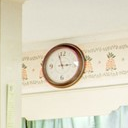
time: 2:56
